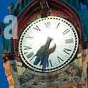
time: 6:32
